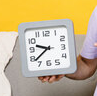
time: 9:38
